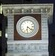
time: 6:21
